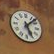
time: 5:07
